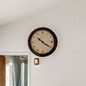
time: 10:20
